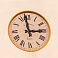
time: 2:58
